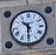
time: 10:30
